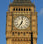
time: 7:01
